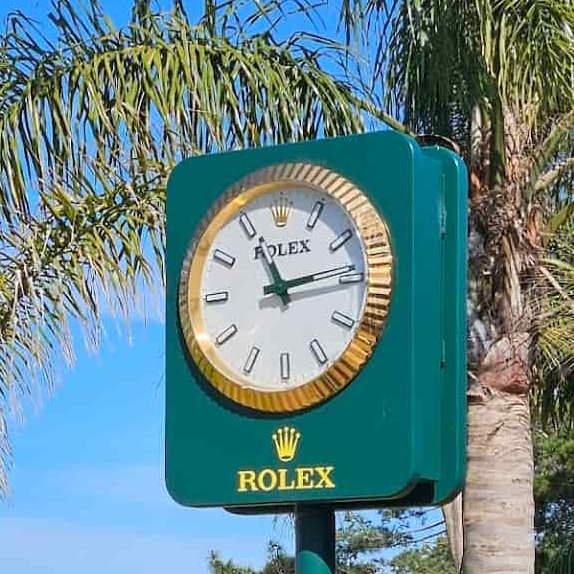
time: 11:13
